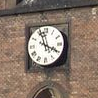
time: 3:57
